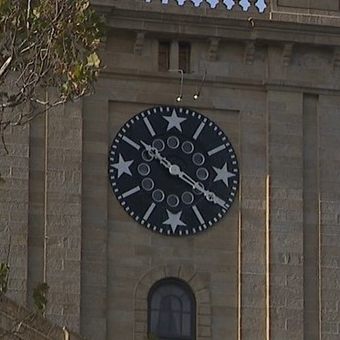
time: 10:20
